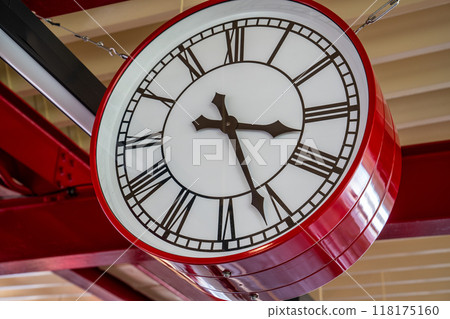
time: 3:26
